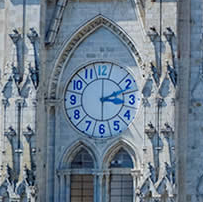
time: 3:12
